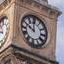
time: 9:59
